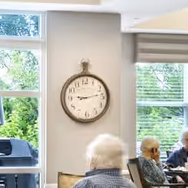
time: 9:13
